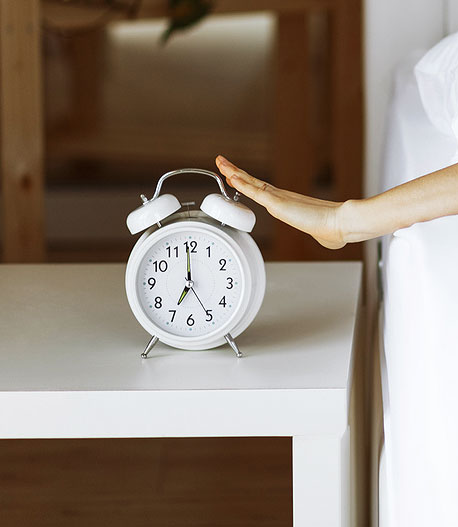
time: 6:59
